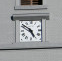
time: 4:51
